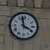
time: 3:58
